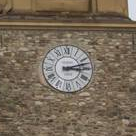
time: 3:12
